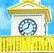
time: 12:40
